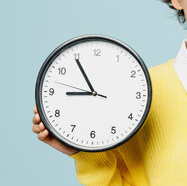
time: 8:54
